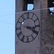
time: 3:20
